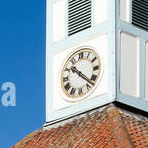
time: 10:22
